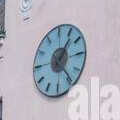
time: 1:23
